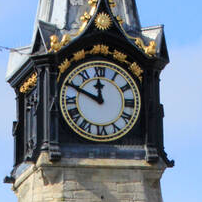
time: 11:49
